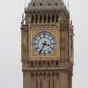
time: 3:34
